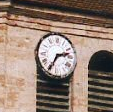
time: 2:35
